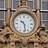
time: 10:28
